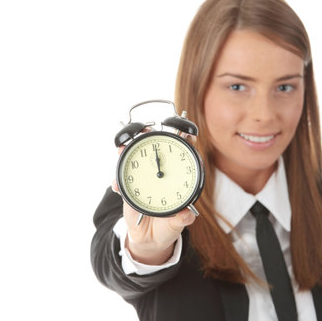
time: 12:00
